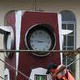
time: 9:13
